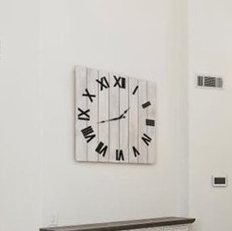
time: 1:42
